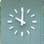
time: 10:00
